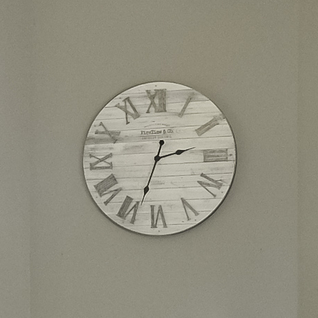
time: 2:33
